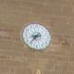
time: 8:37
